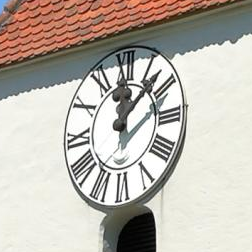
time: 12:07
